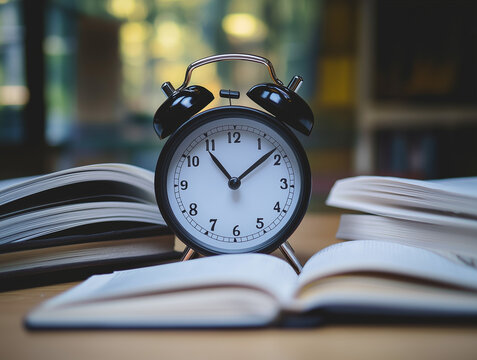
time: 11:08
